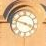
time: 3:47
